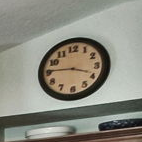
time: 3:45
